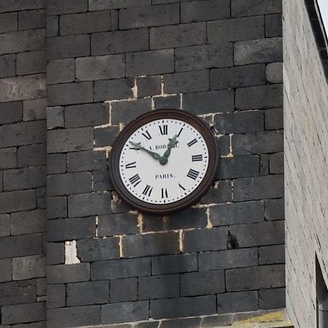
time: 12:51
